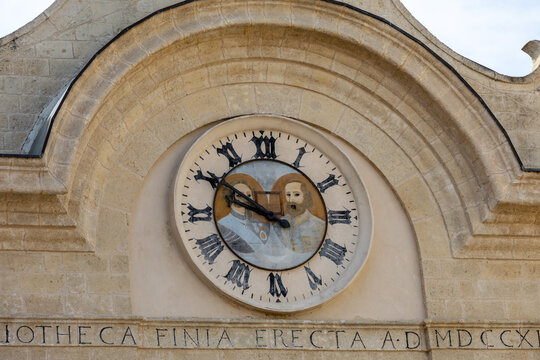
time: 9:50
